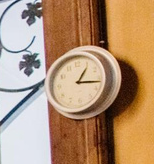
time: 1:16
